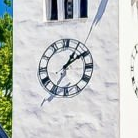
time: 1:09
